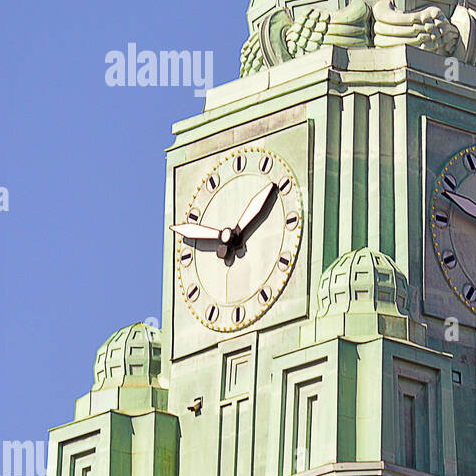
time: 1:46
